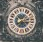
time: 7:15
